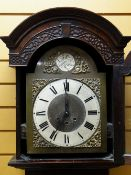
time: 7:00
